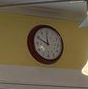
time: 11:49
